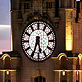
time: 5:34
